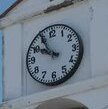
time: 9:54
